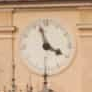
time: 3:57
